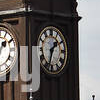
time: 1:33
